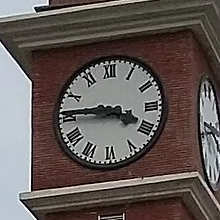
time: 3:45
